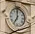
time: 7:00
